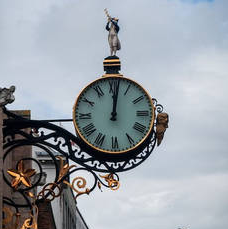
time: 12:01
